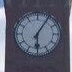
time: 6:05
